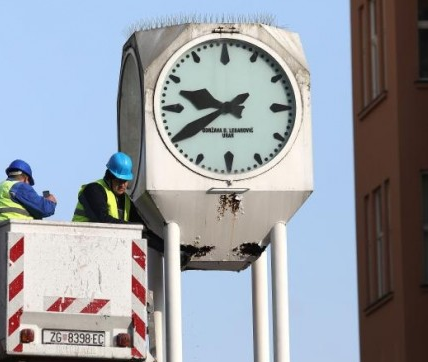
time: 9:40
